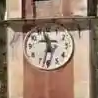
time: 11:32
